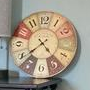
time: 4:38
